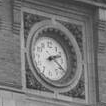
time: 2:20
